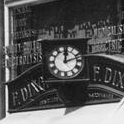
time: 12:12
